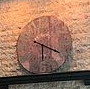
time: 6:18
